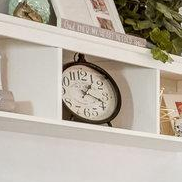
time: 1:18
